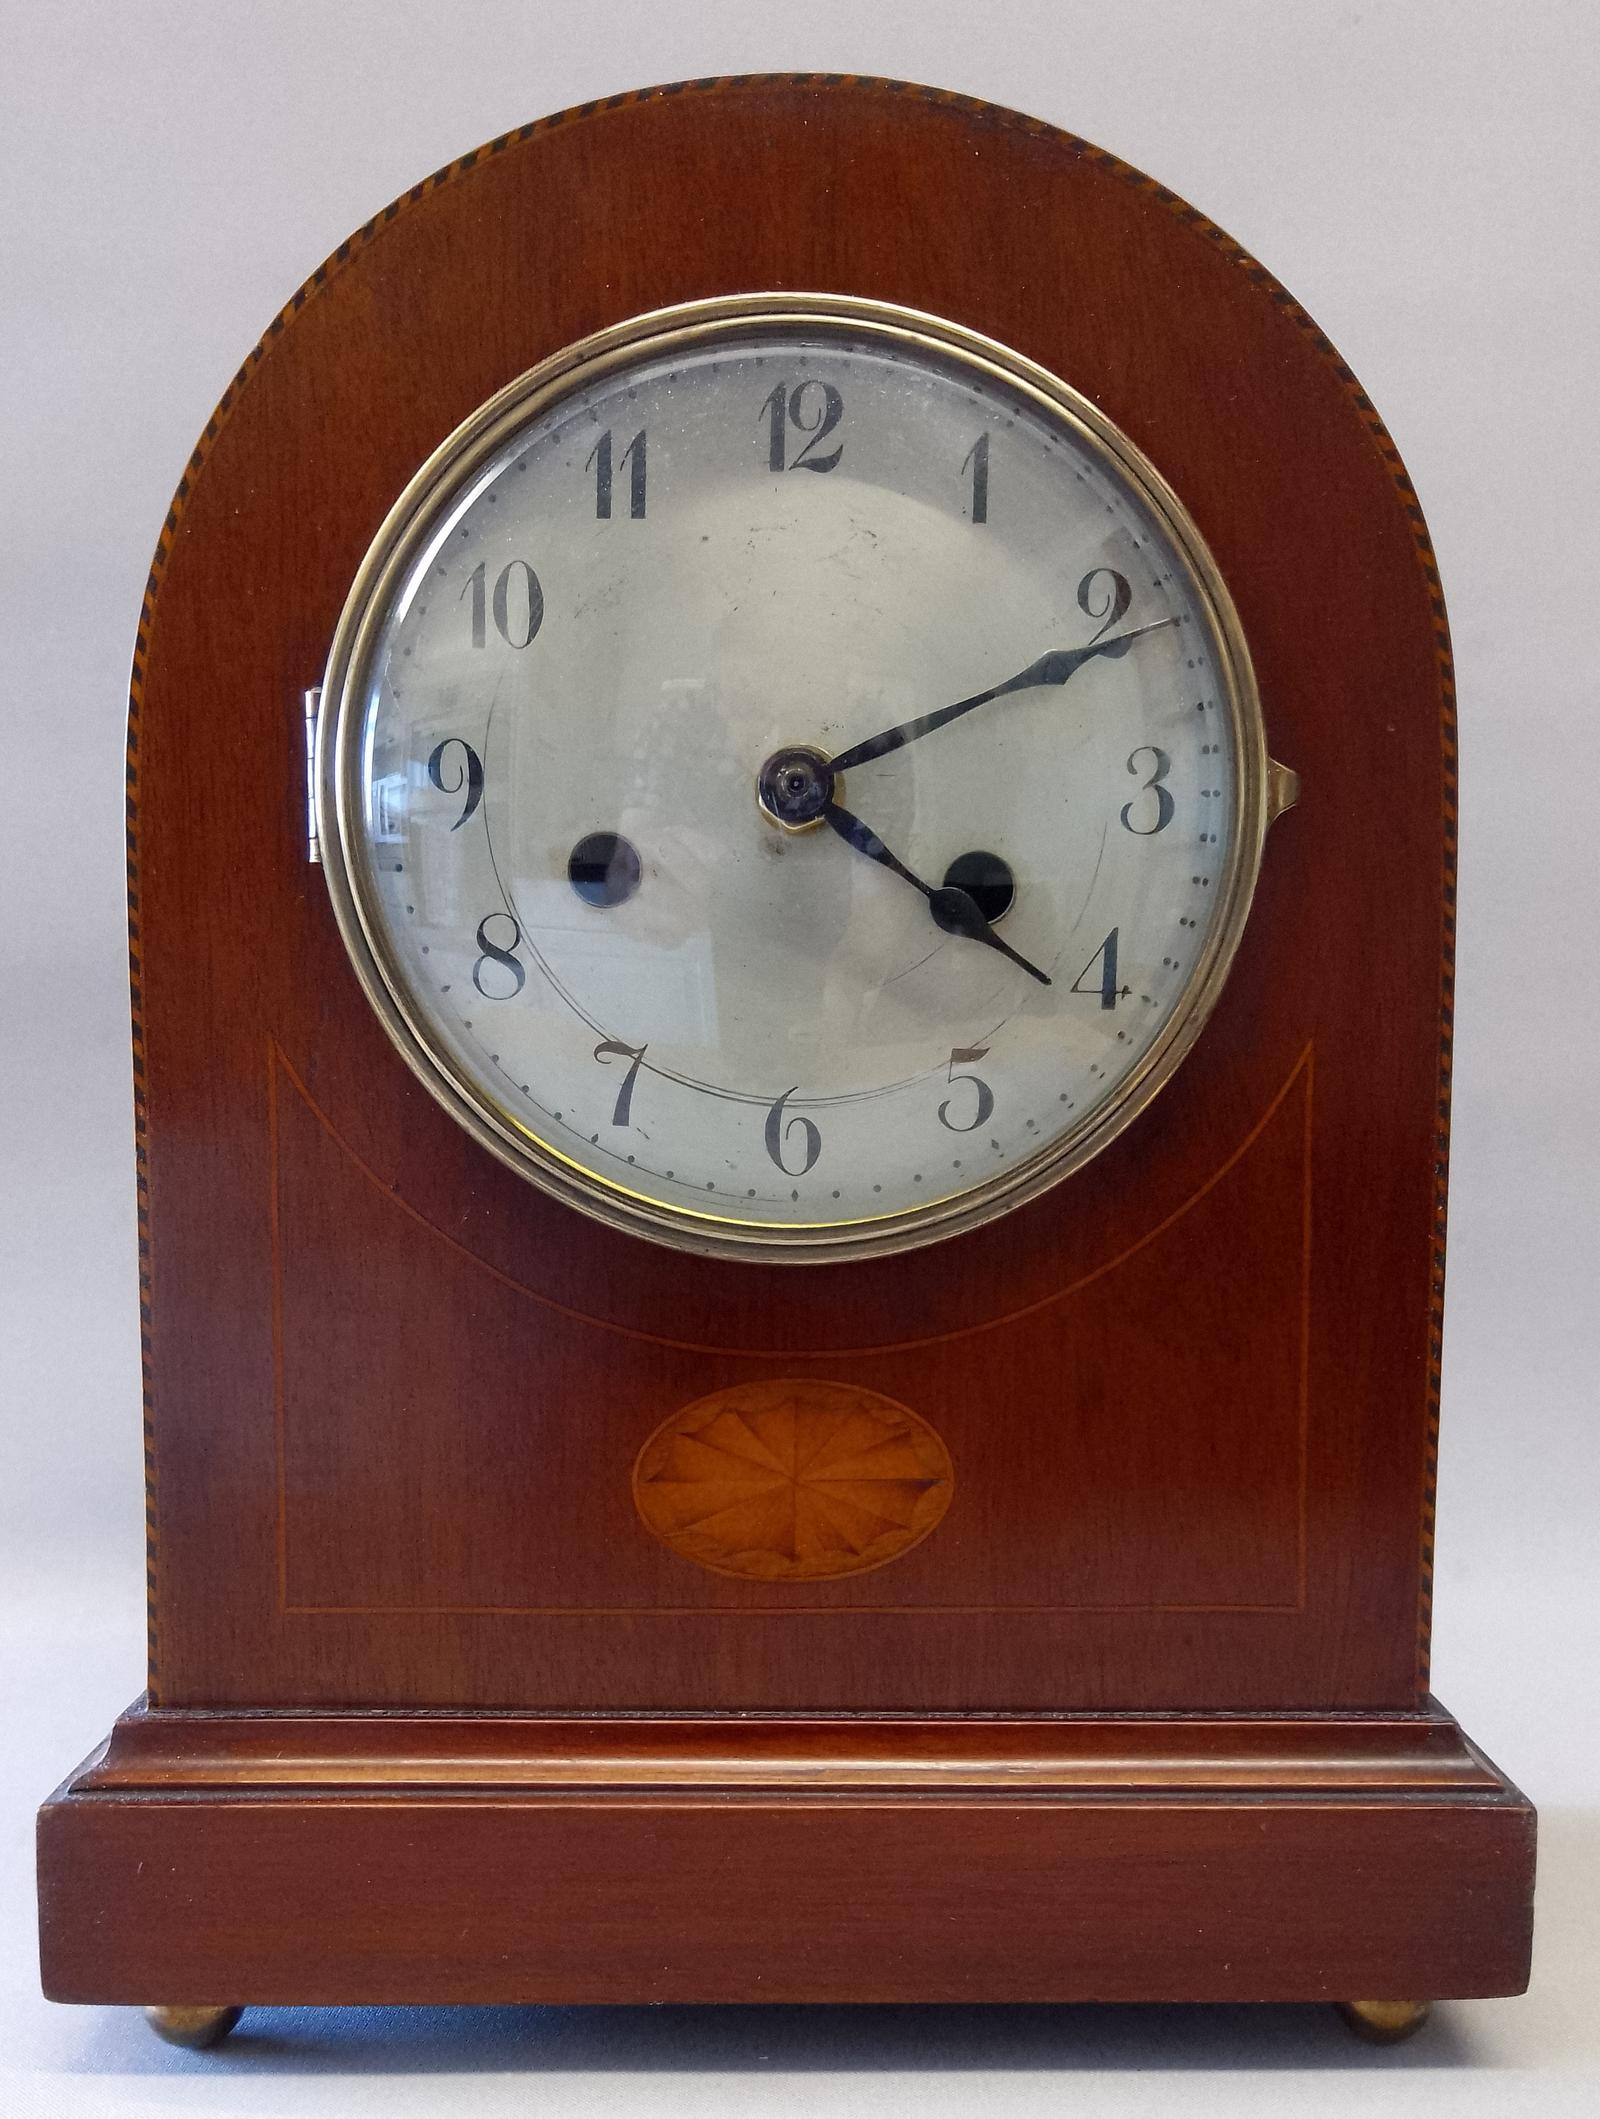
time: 4:10
